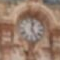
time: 12:24
